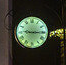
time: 9:14
